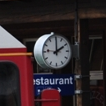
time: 2:00
